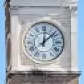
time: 12:07
